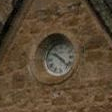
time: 10:22
